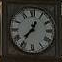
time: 12:36
